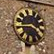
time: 3:43
